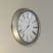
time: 12:37
